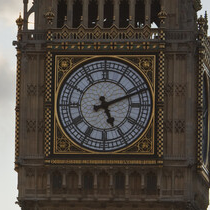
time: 5:11
